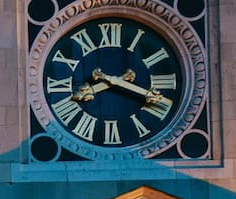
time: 8:18
